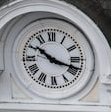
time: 10:18
